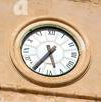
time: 5:36
